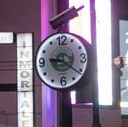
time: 9:21
